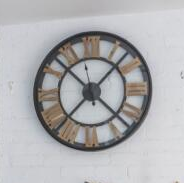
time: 1:37
